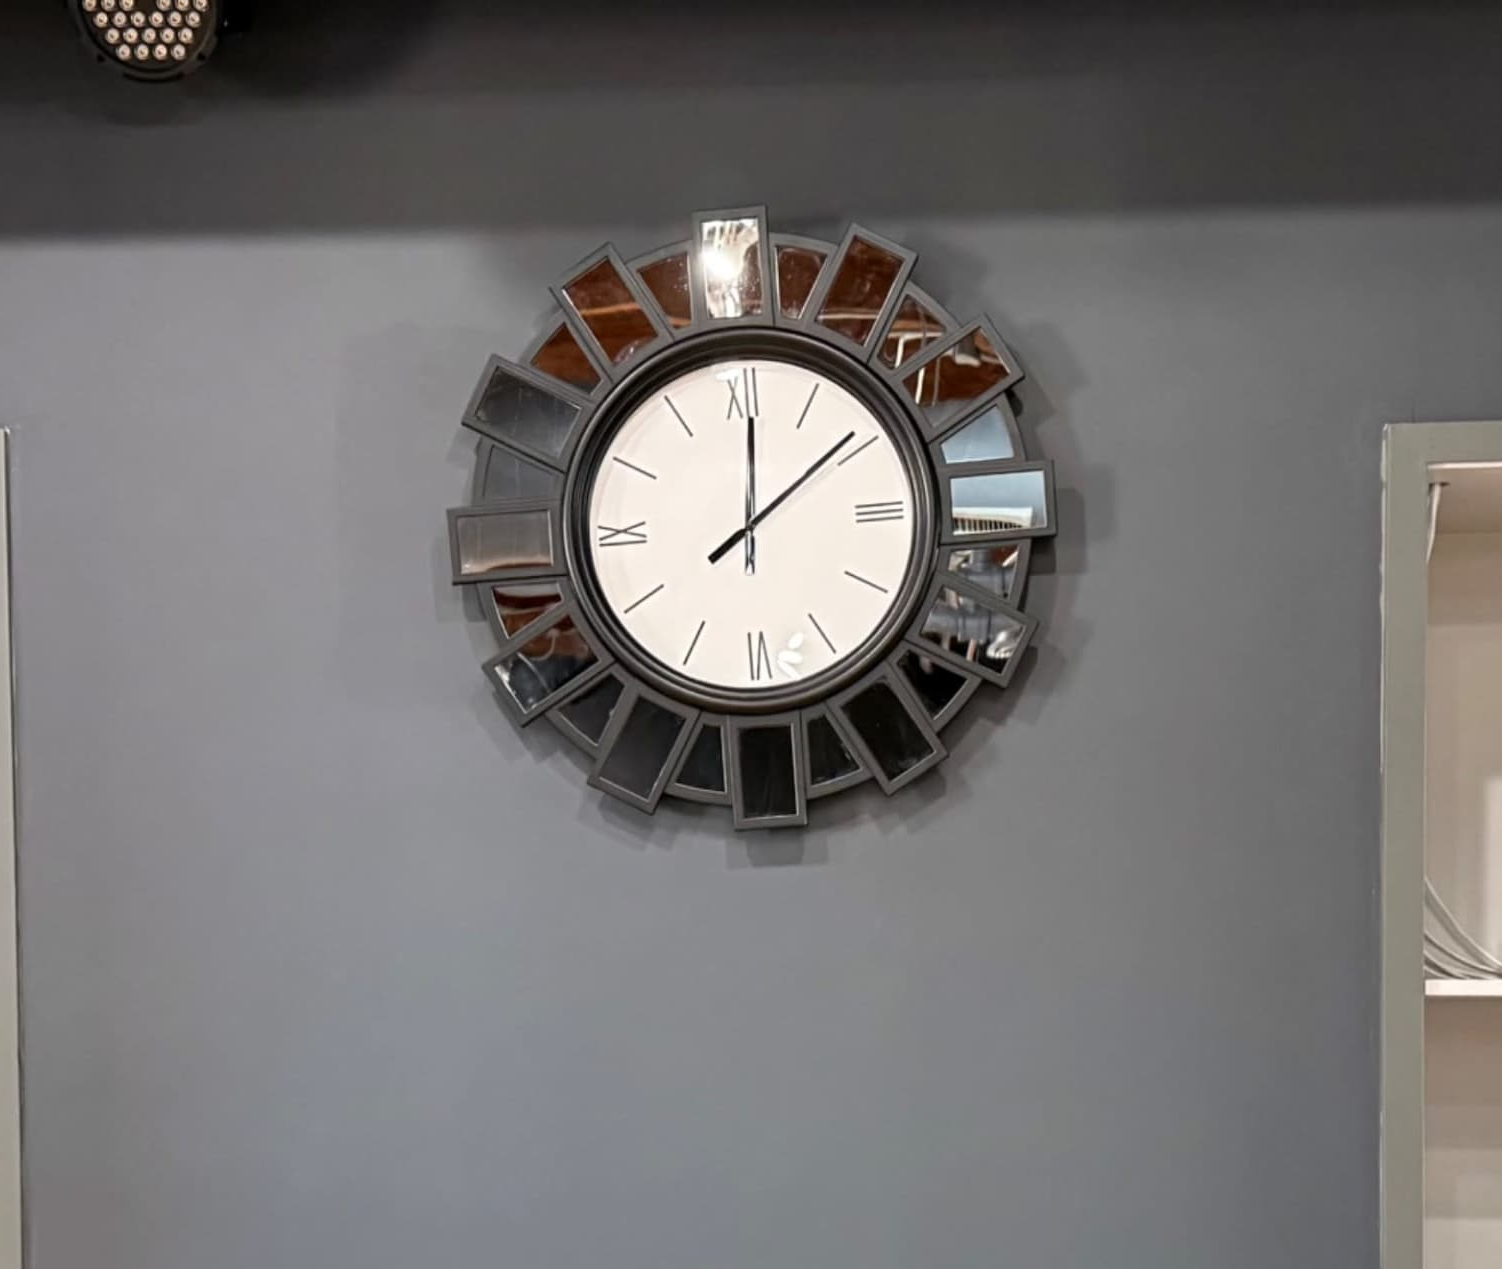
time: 12:08
